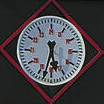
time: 5:32
